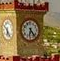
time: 6:23
